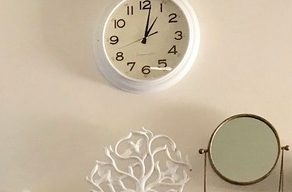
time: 1:01
